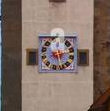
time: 8:12
